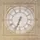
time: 6:33
